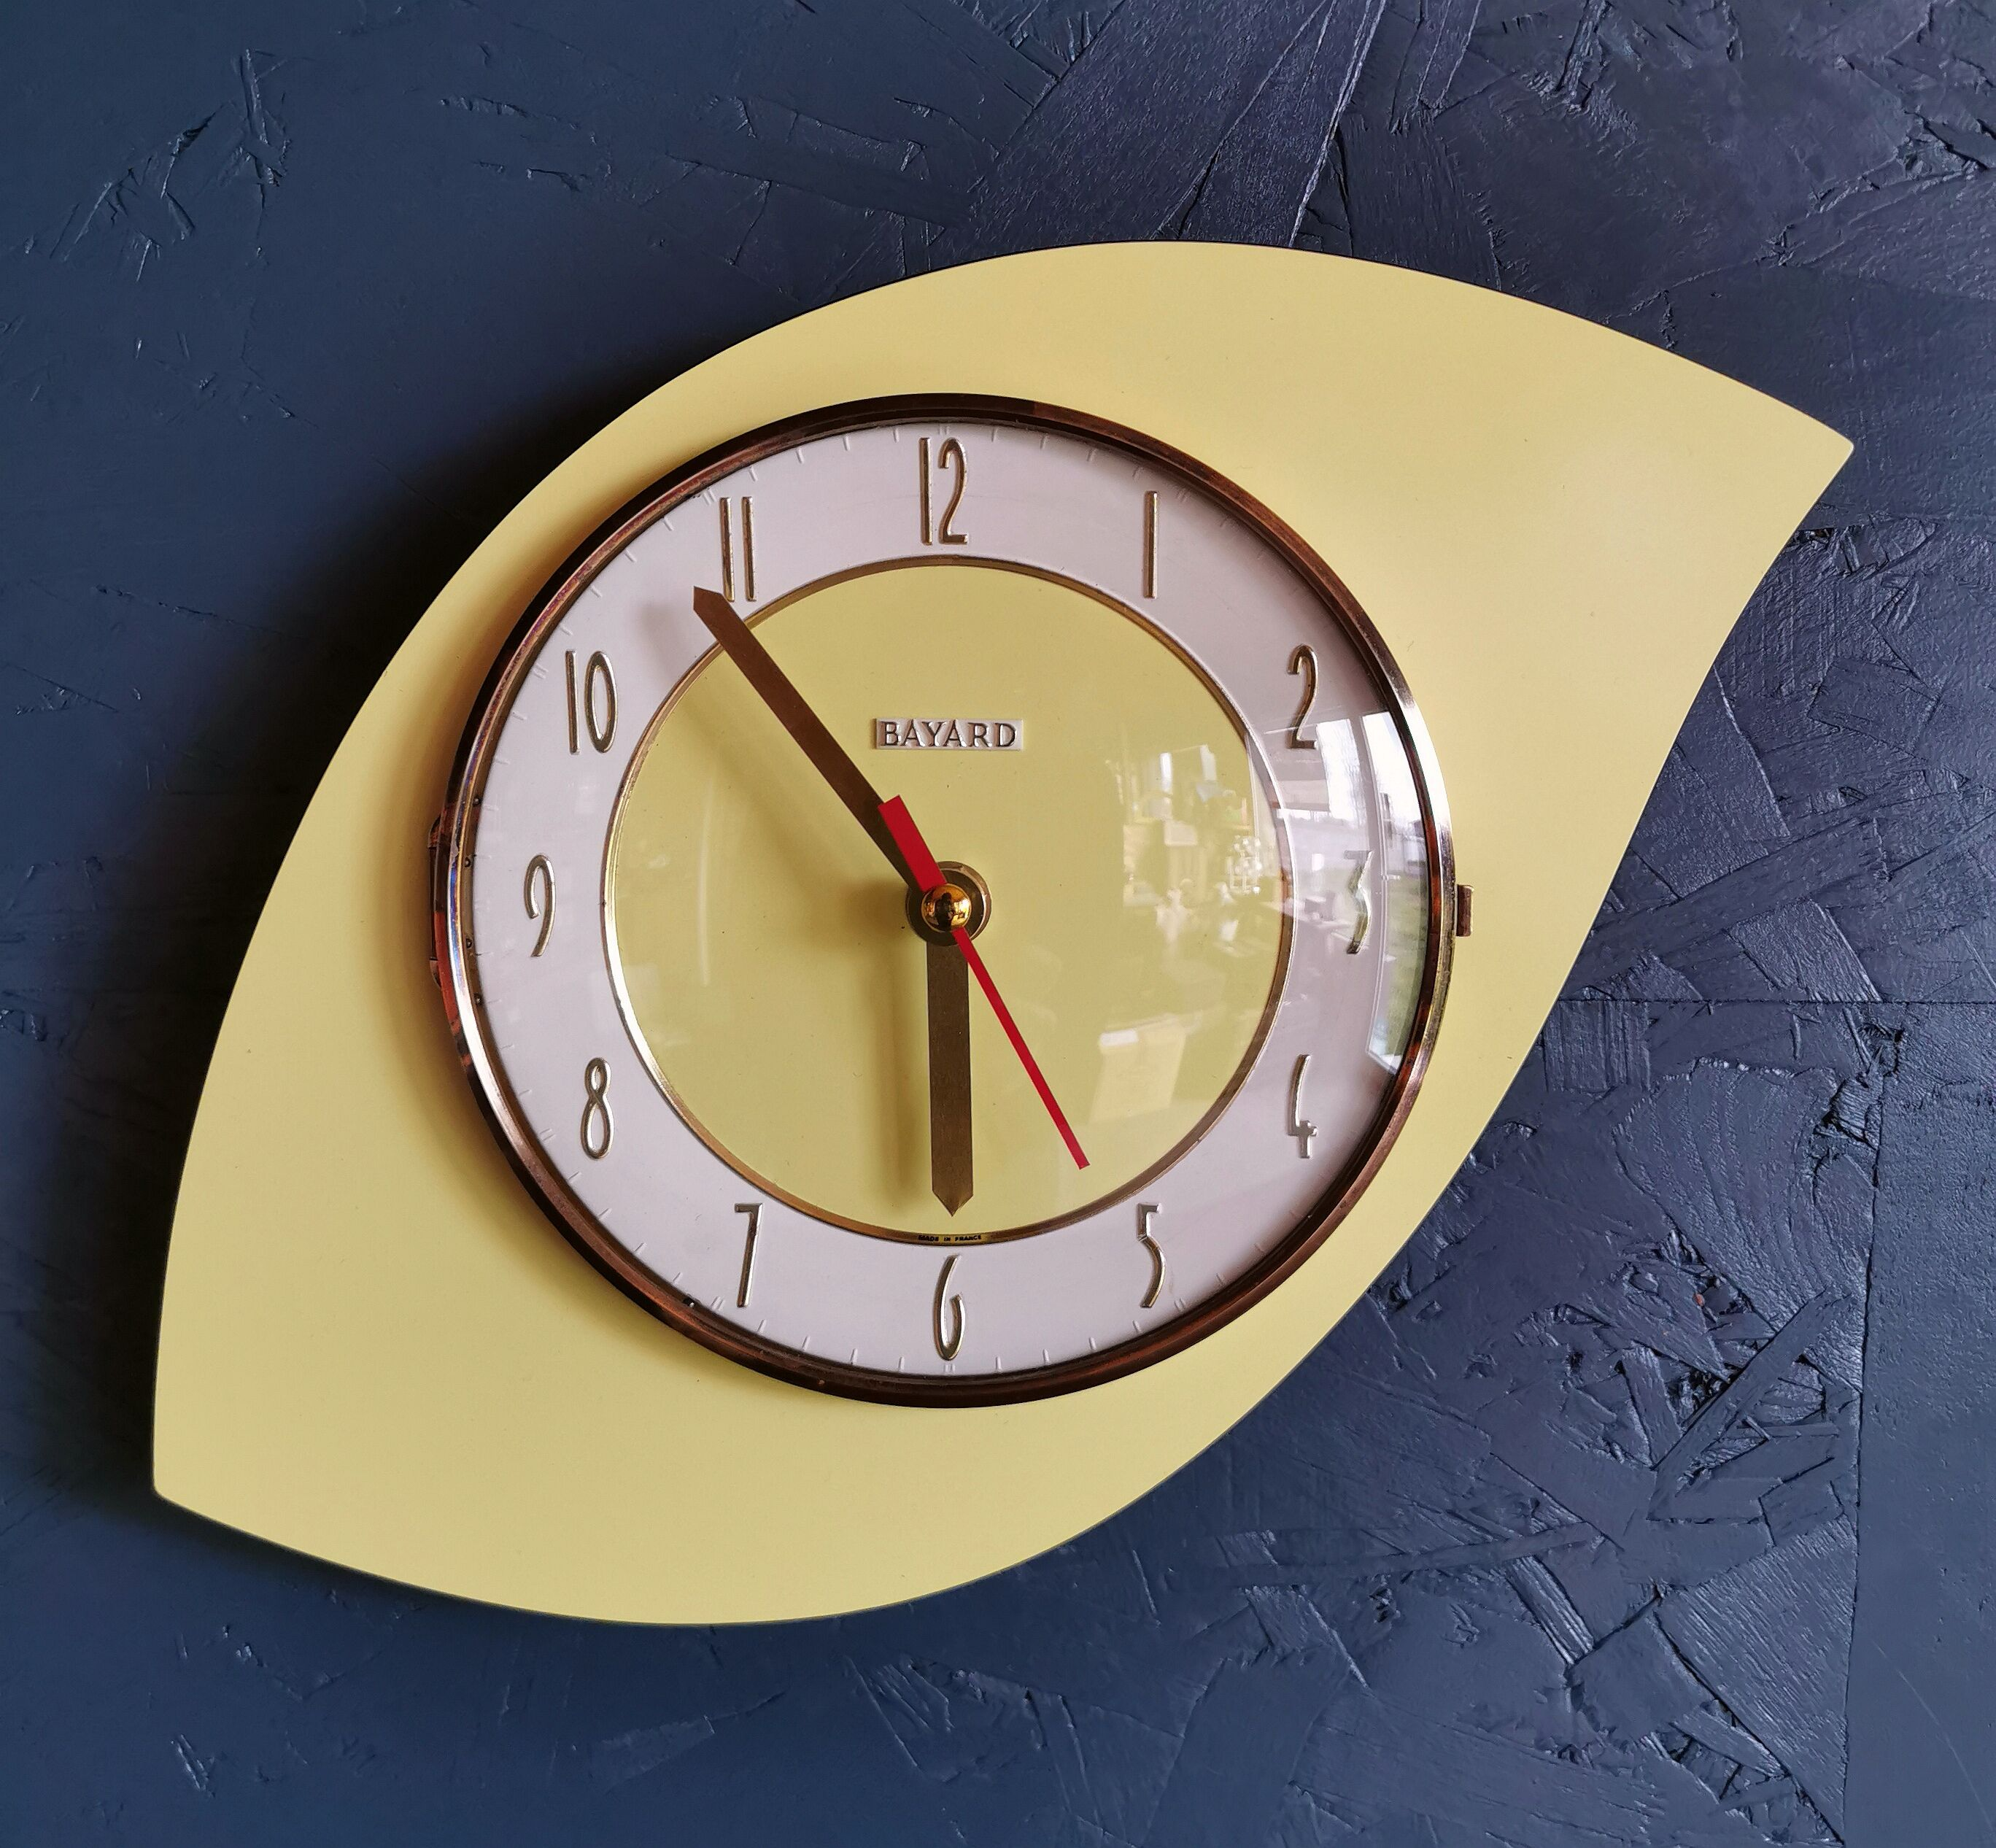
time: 5:53
